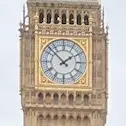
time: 1:52
